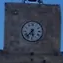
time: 5:37
